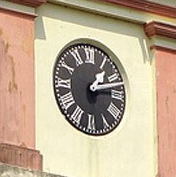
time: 1:12
